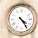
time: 4:24
